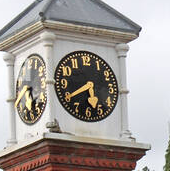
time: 5:39
